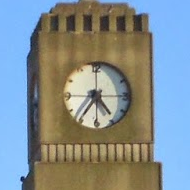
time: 4:35
